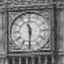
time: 11:30
